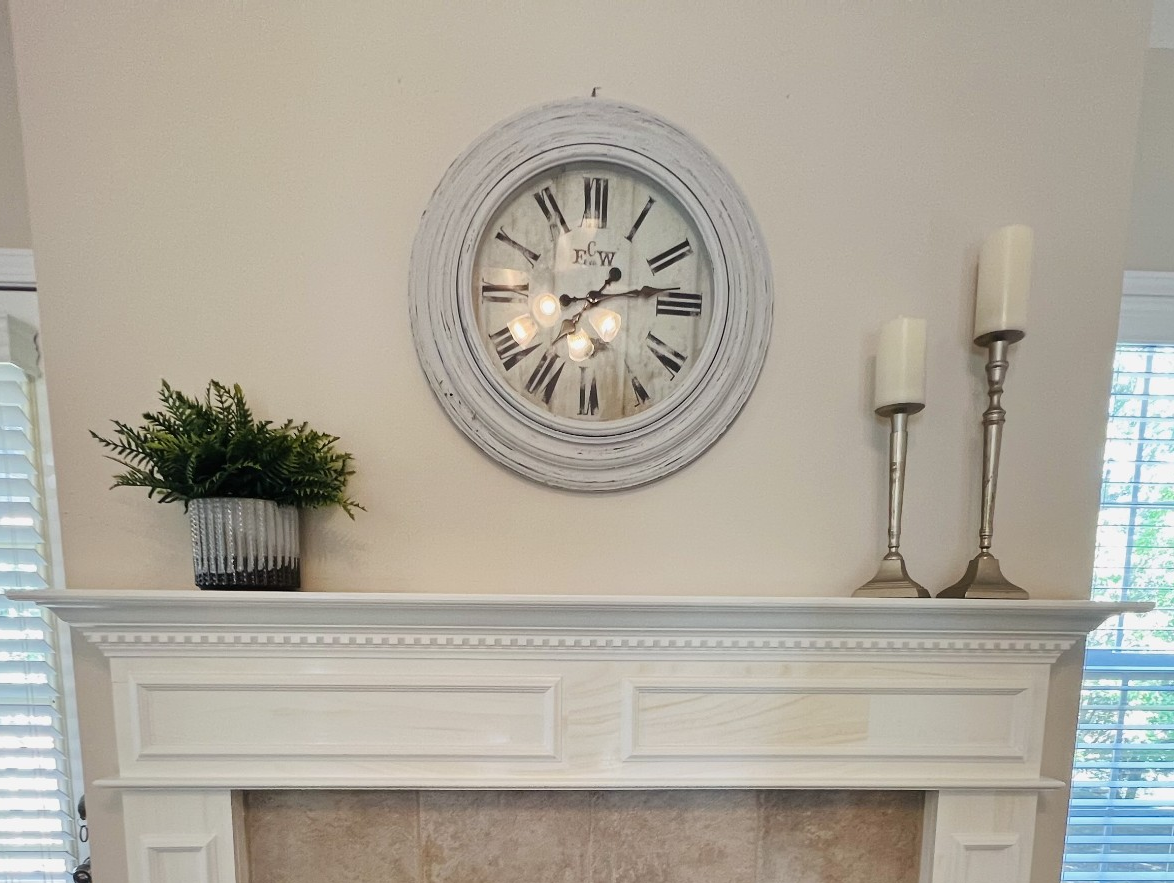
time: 2:36
